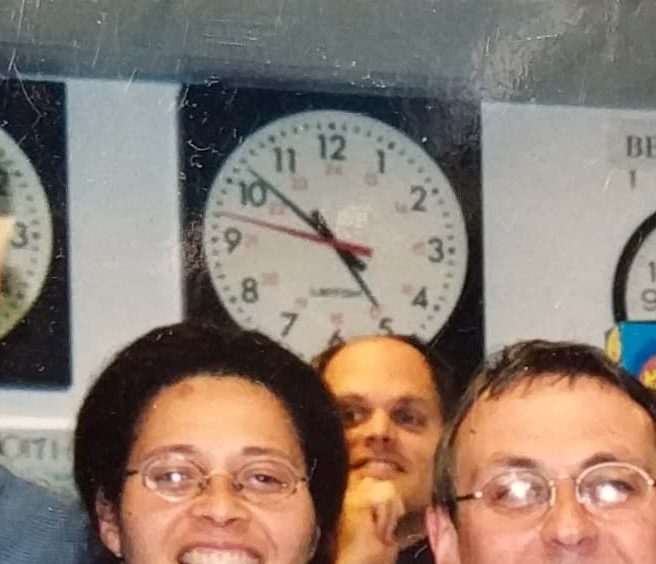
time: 4:51
